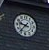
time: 9:36
